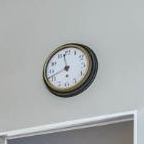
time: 11:41
